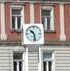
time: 10:28
